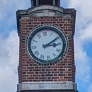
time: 3:10
